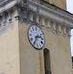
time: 2:35
